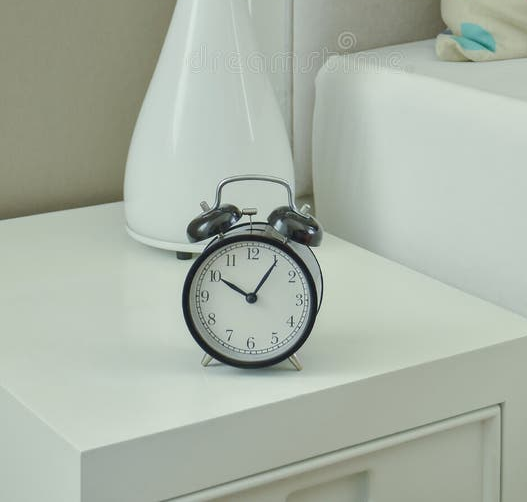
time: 10:05
